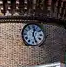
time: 12:26
